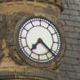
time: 7:21
